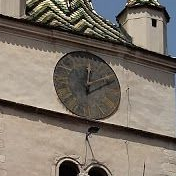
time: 12:10
